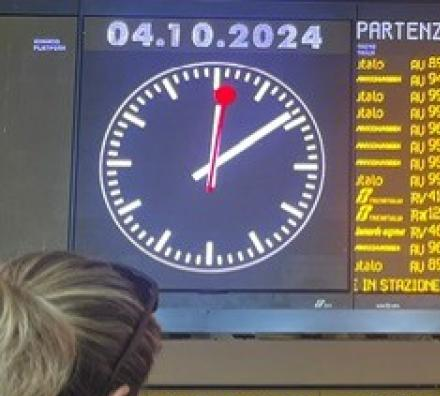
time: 12:09
